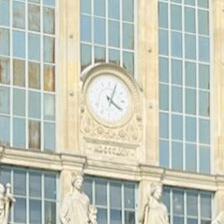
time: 4:04
